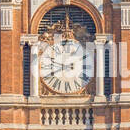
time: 9:40
